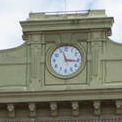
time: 11:16
